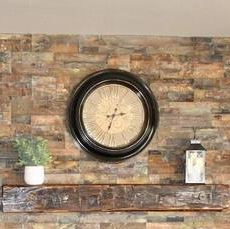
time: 2:33
